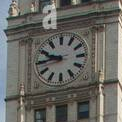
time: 9:43
